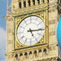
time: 5:15
